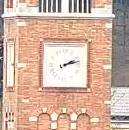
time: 2:12
